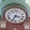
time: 3:34
